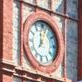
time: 12:05
